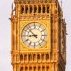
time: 8:52
